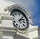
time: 2:06
